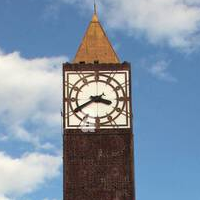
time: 3:40
